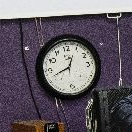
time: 12:41
